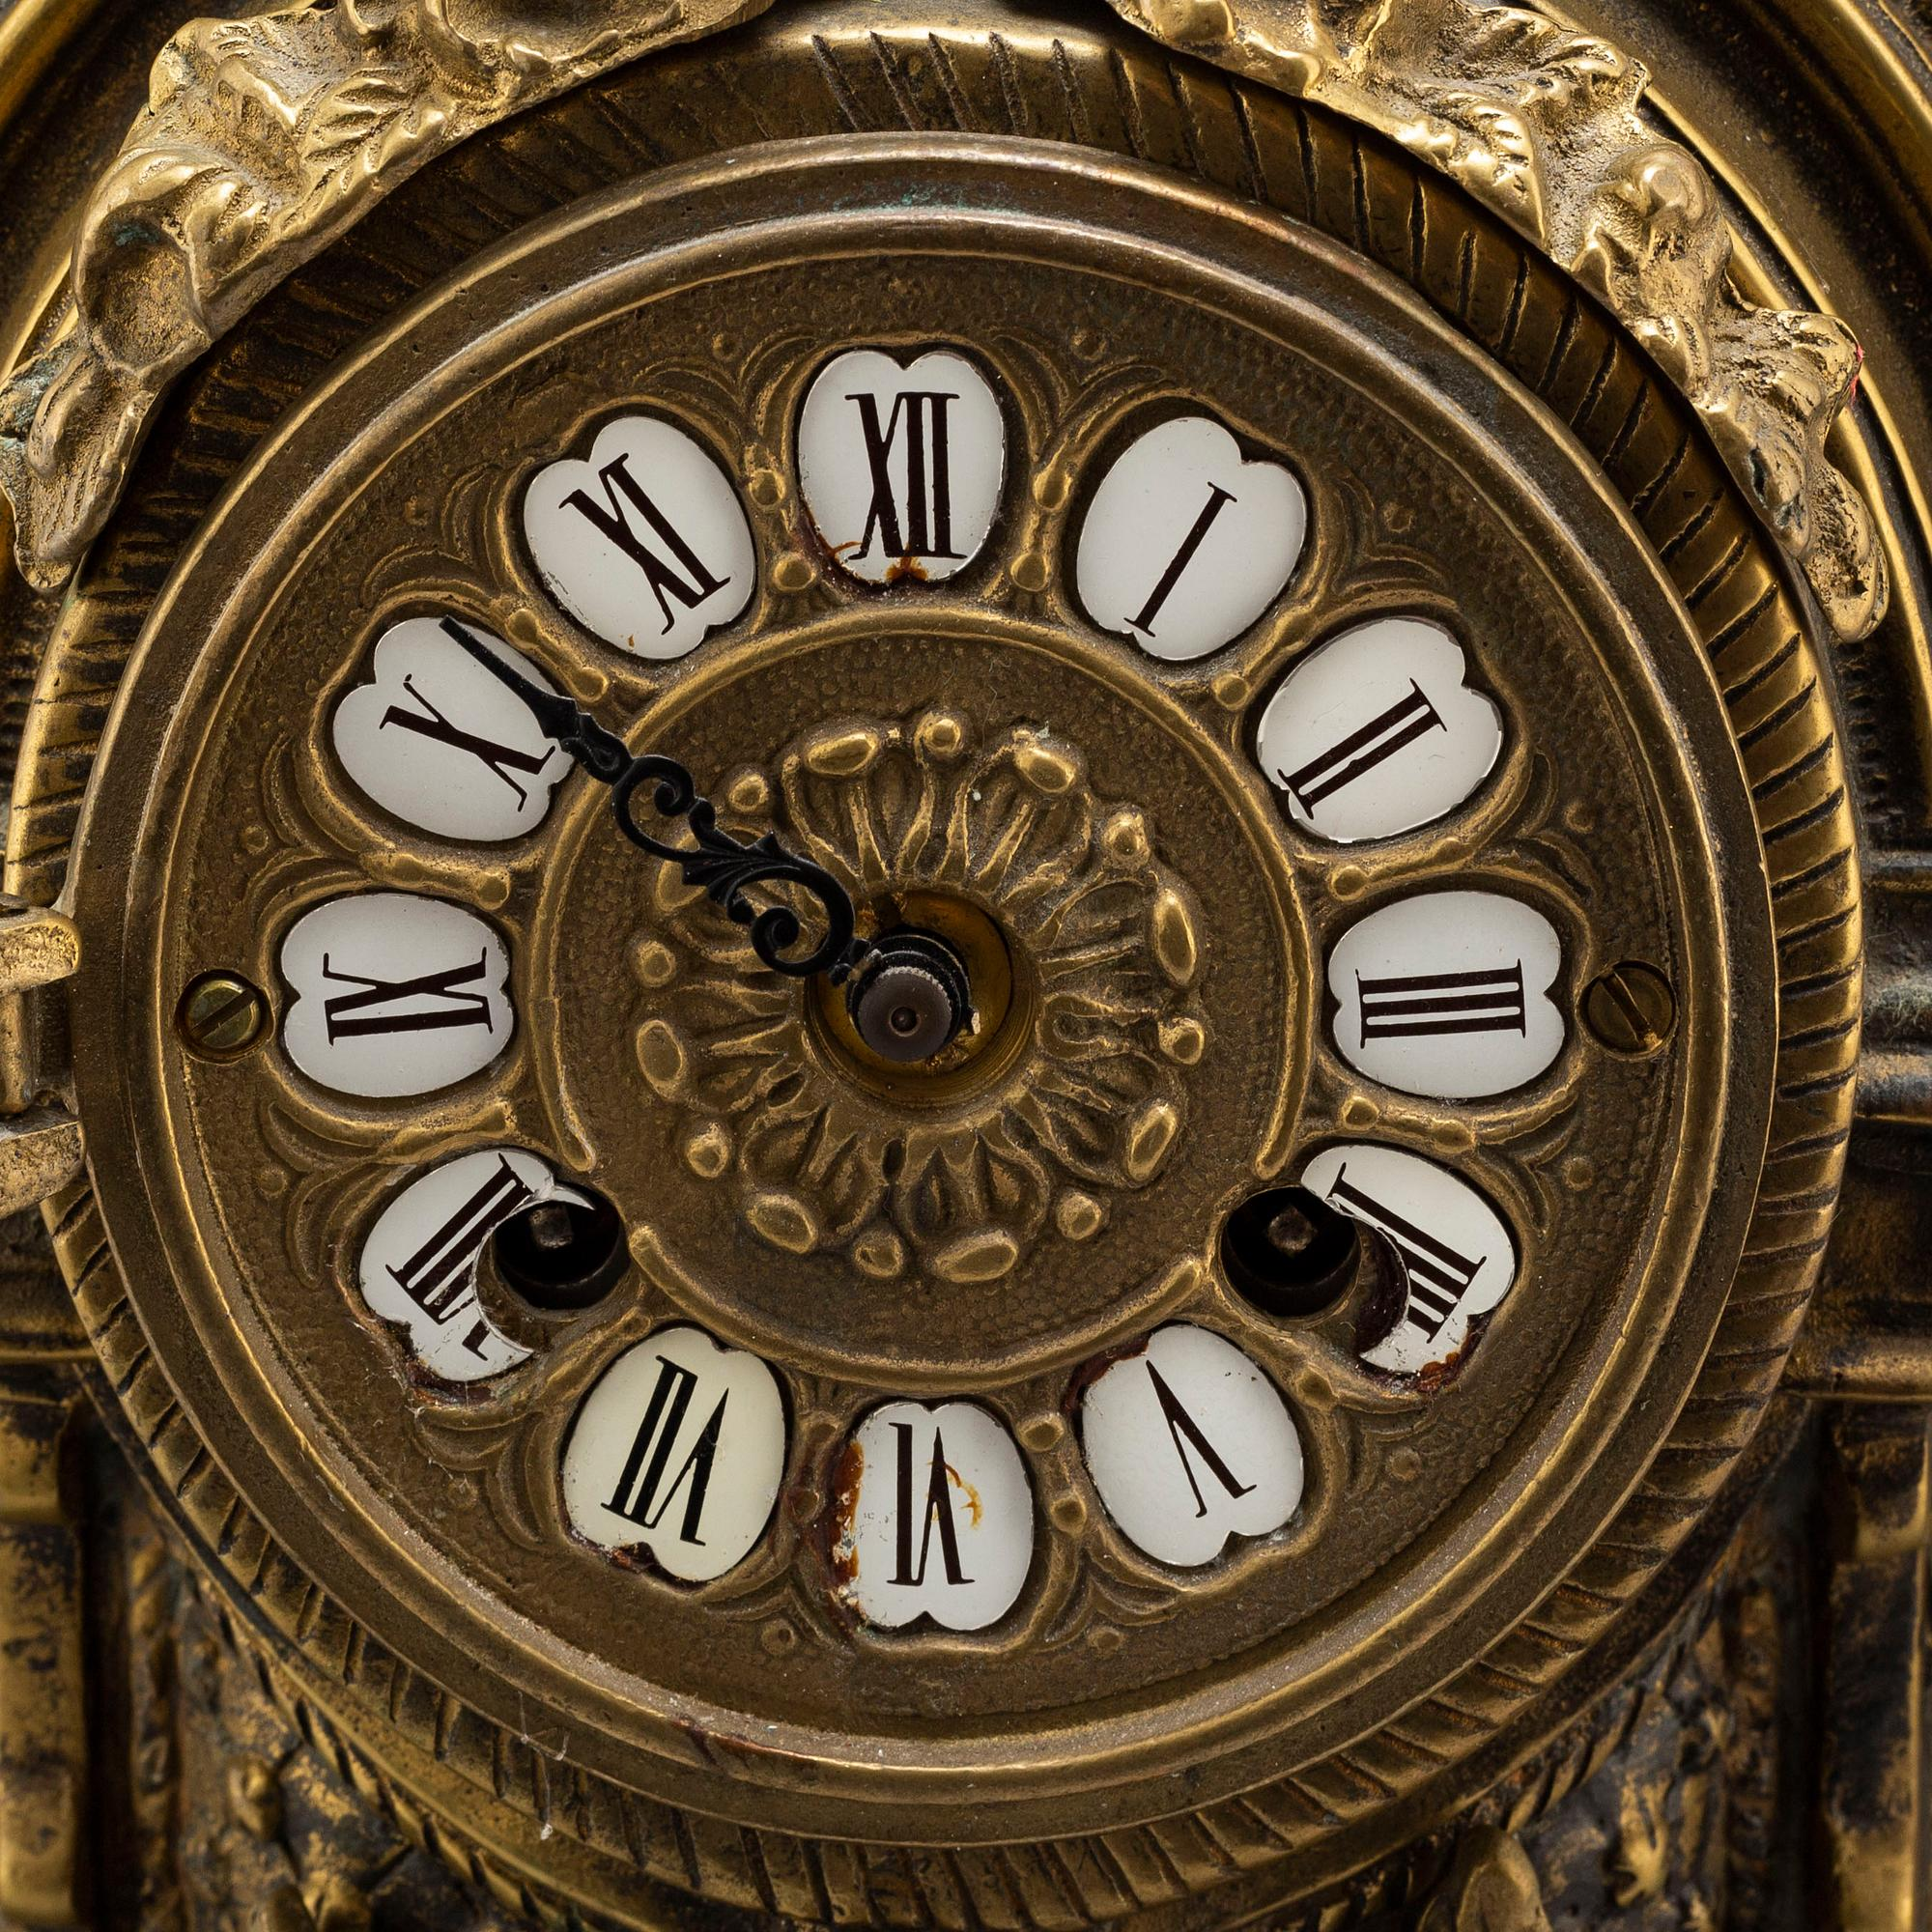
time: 9:51
